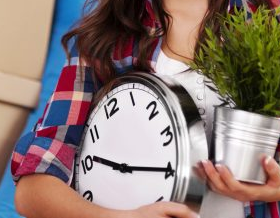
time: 10:19
